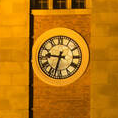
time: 9:32
